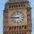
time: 8:46
